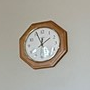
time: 1:56
